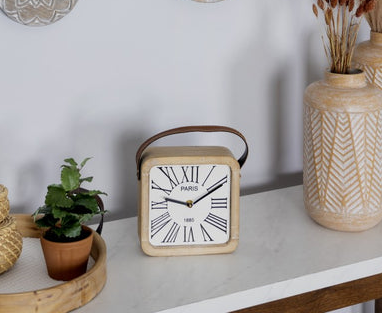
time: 9:10
